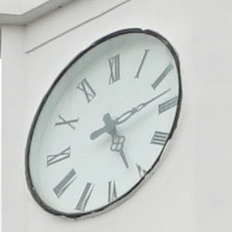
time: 5:13
